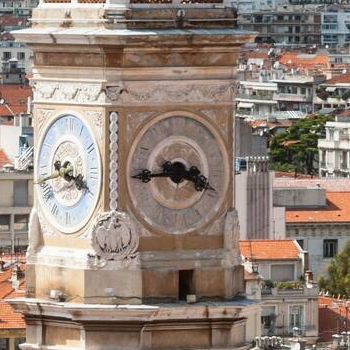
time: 3:44
